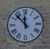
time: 11:52
